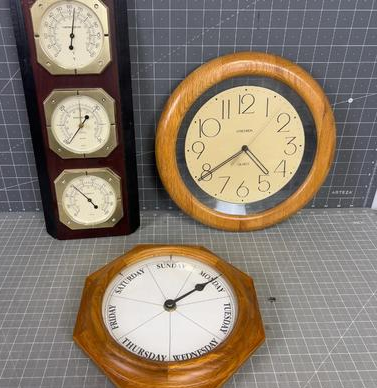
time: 4:39
